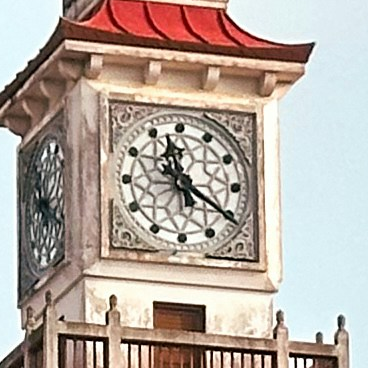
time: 11:20
